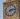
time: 2:12
